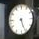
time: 5:26
